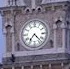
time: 7:22
